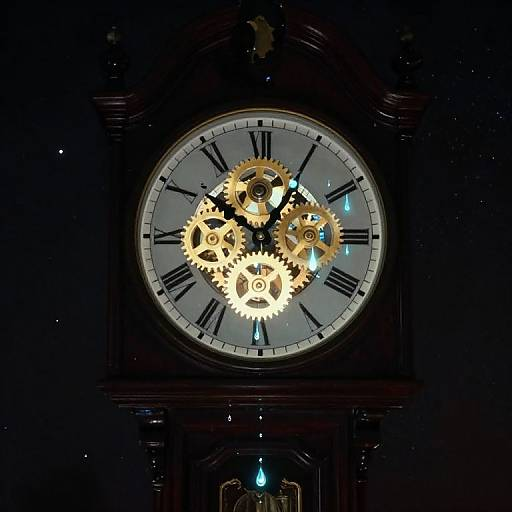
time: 12:51
